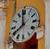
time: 7:58
